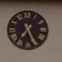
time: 7:25
